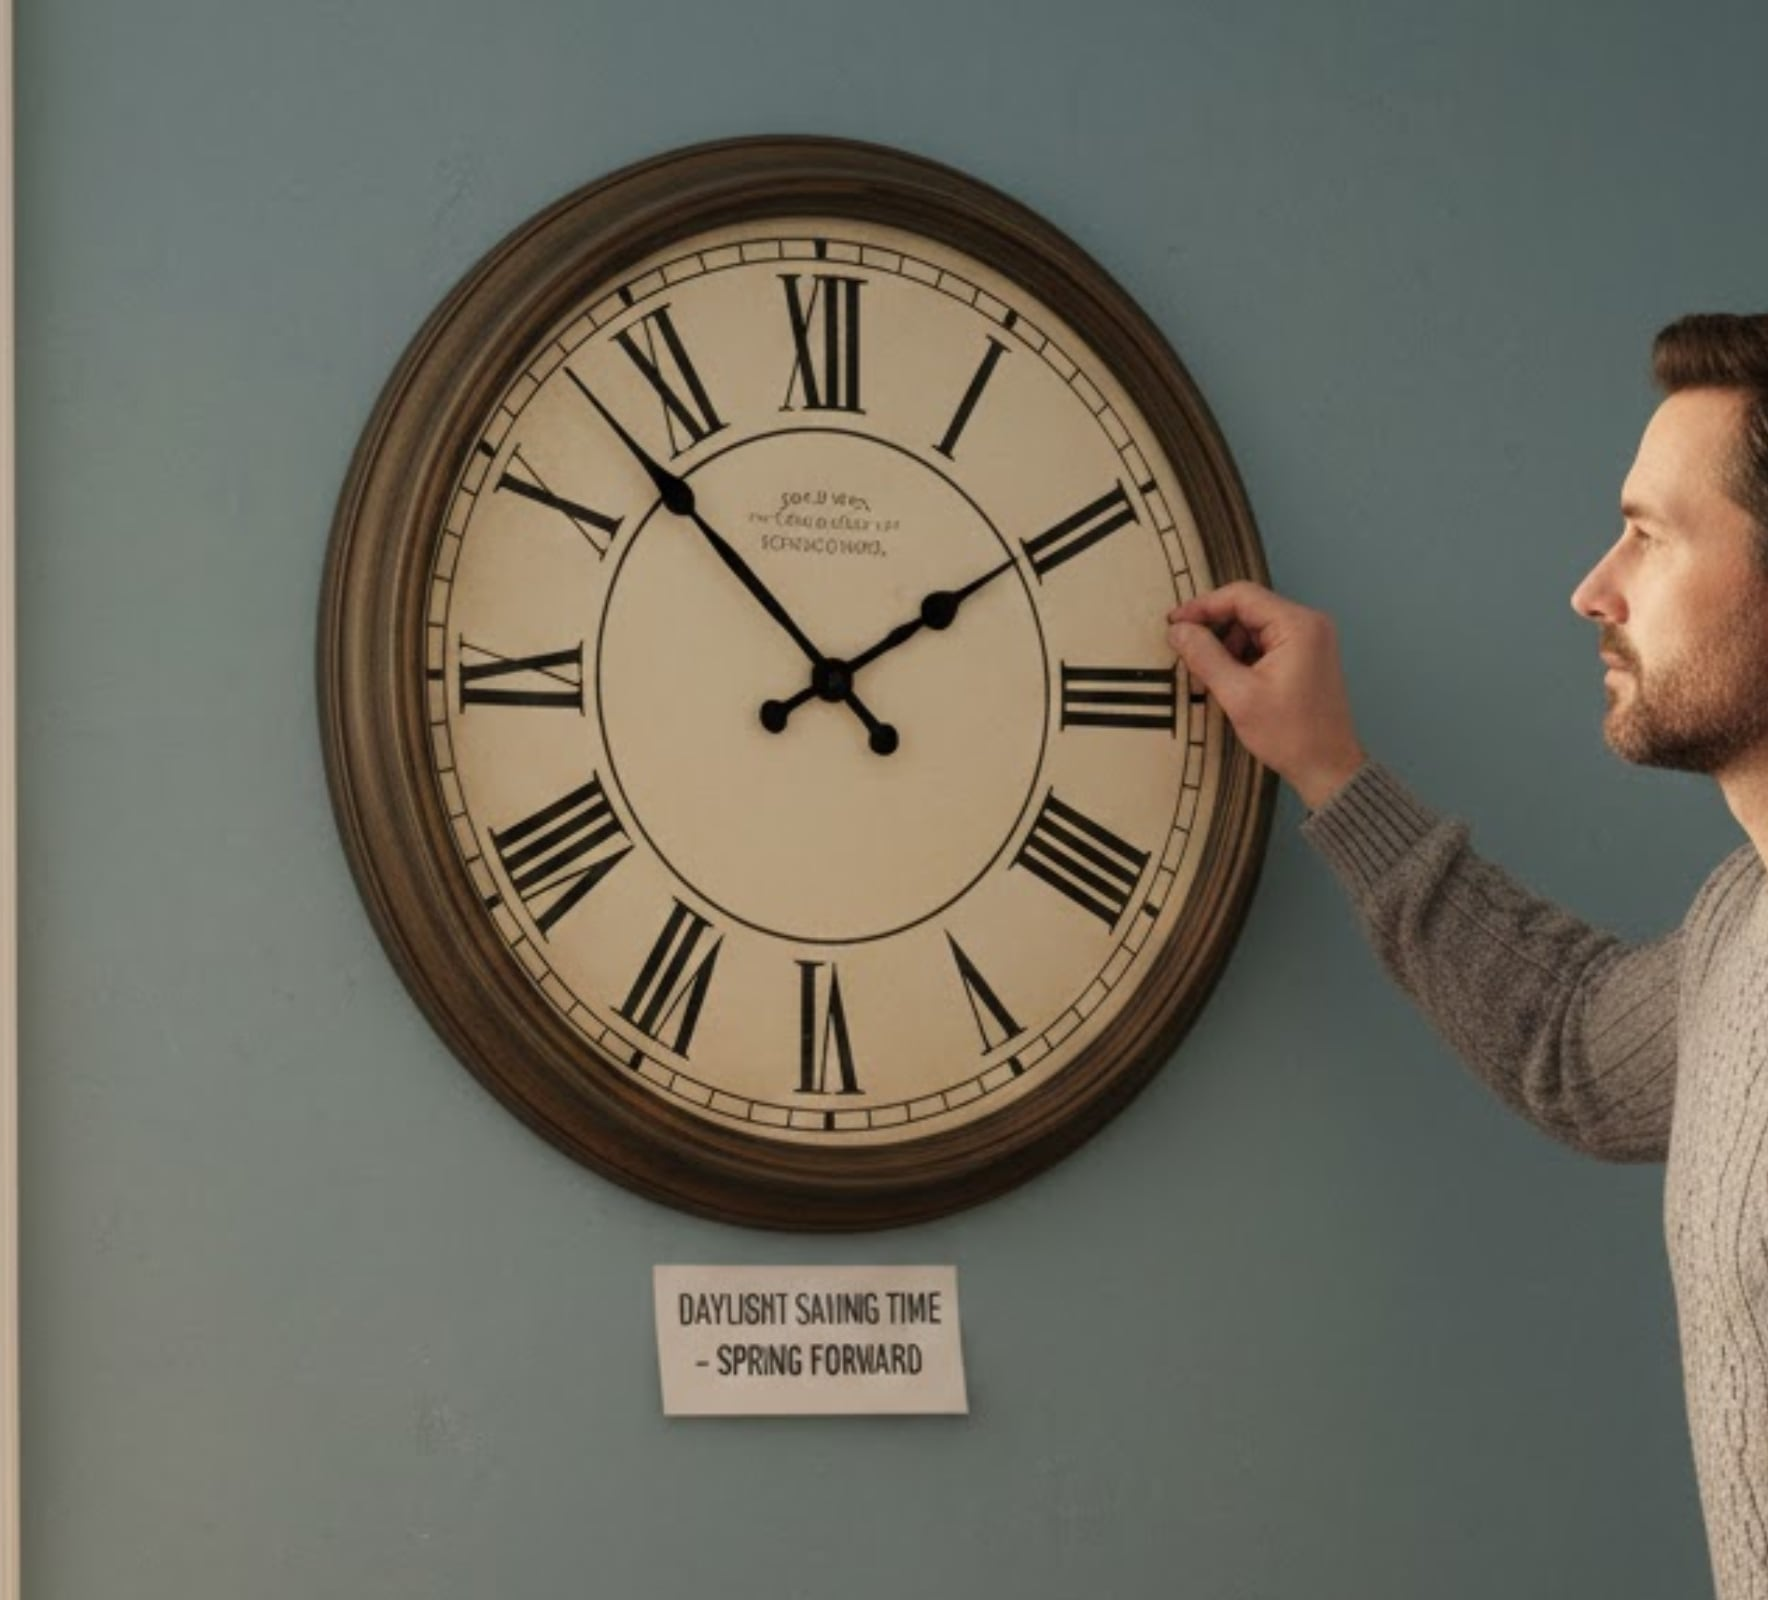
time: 1:52
